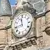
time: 11:42
